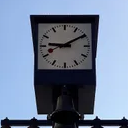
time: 9:10
